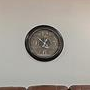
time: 10:34
